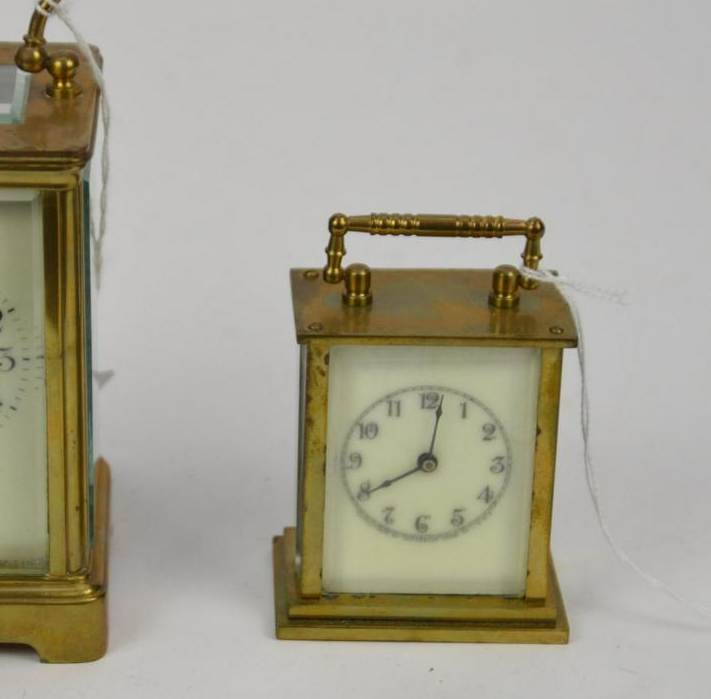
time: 8:01
